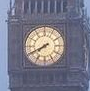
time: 7:40
